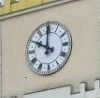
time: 10:00
